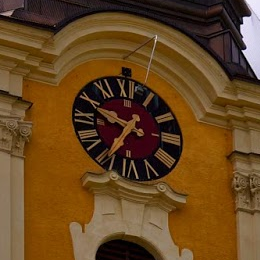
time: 9:35
